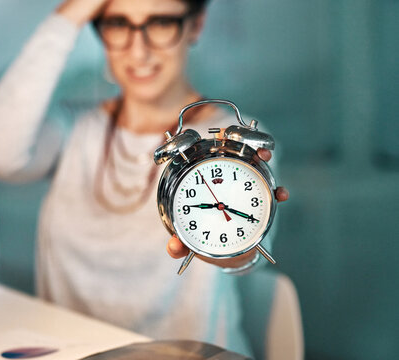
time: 9:19
